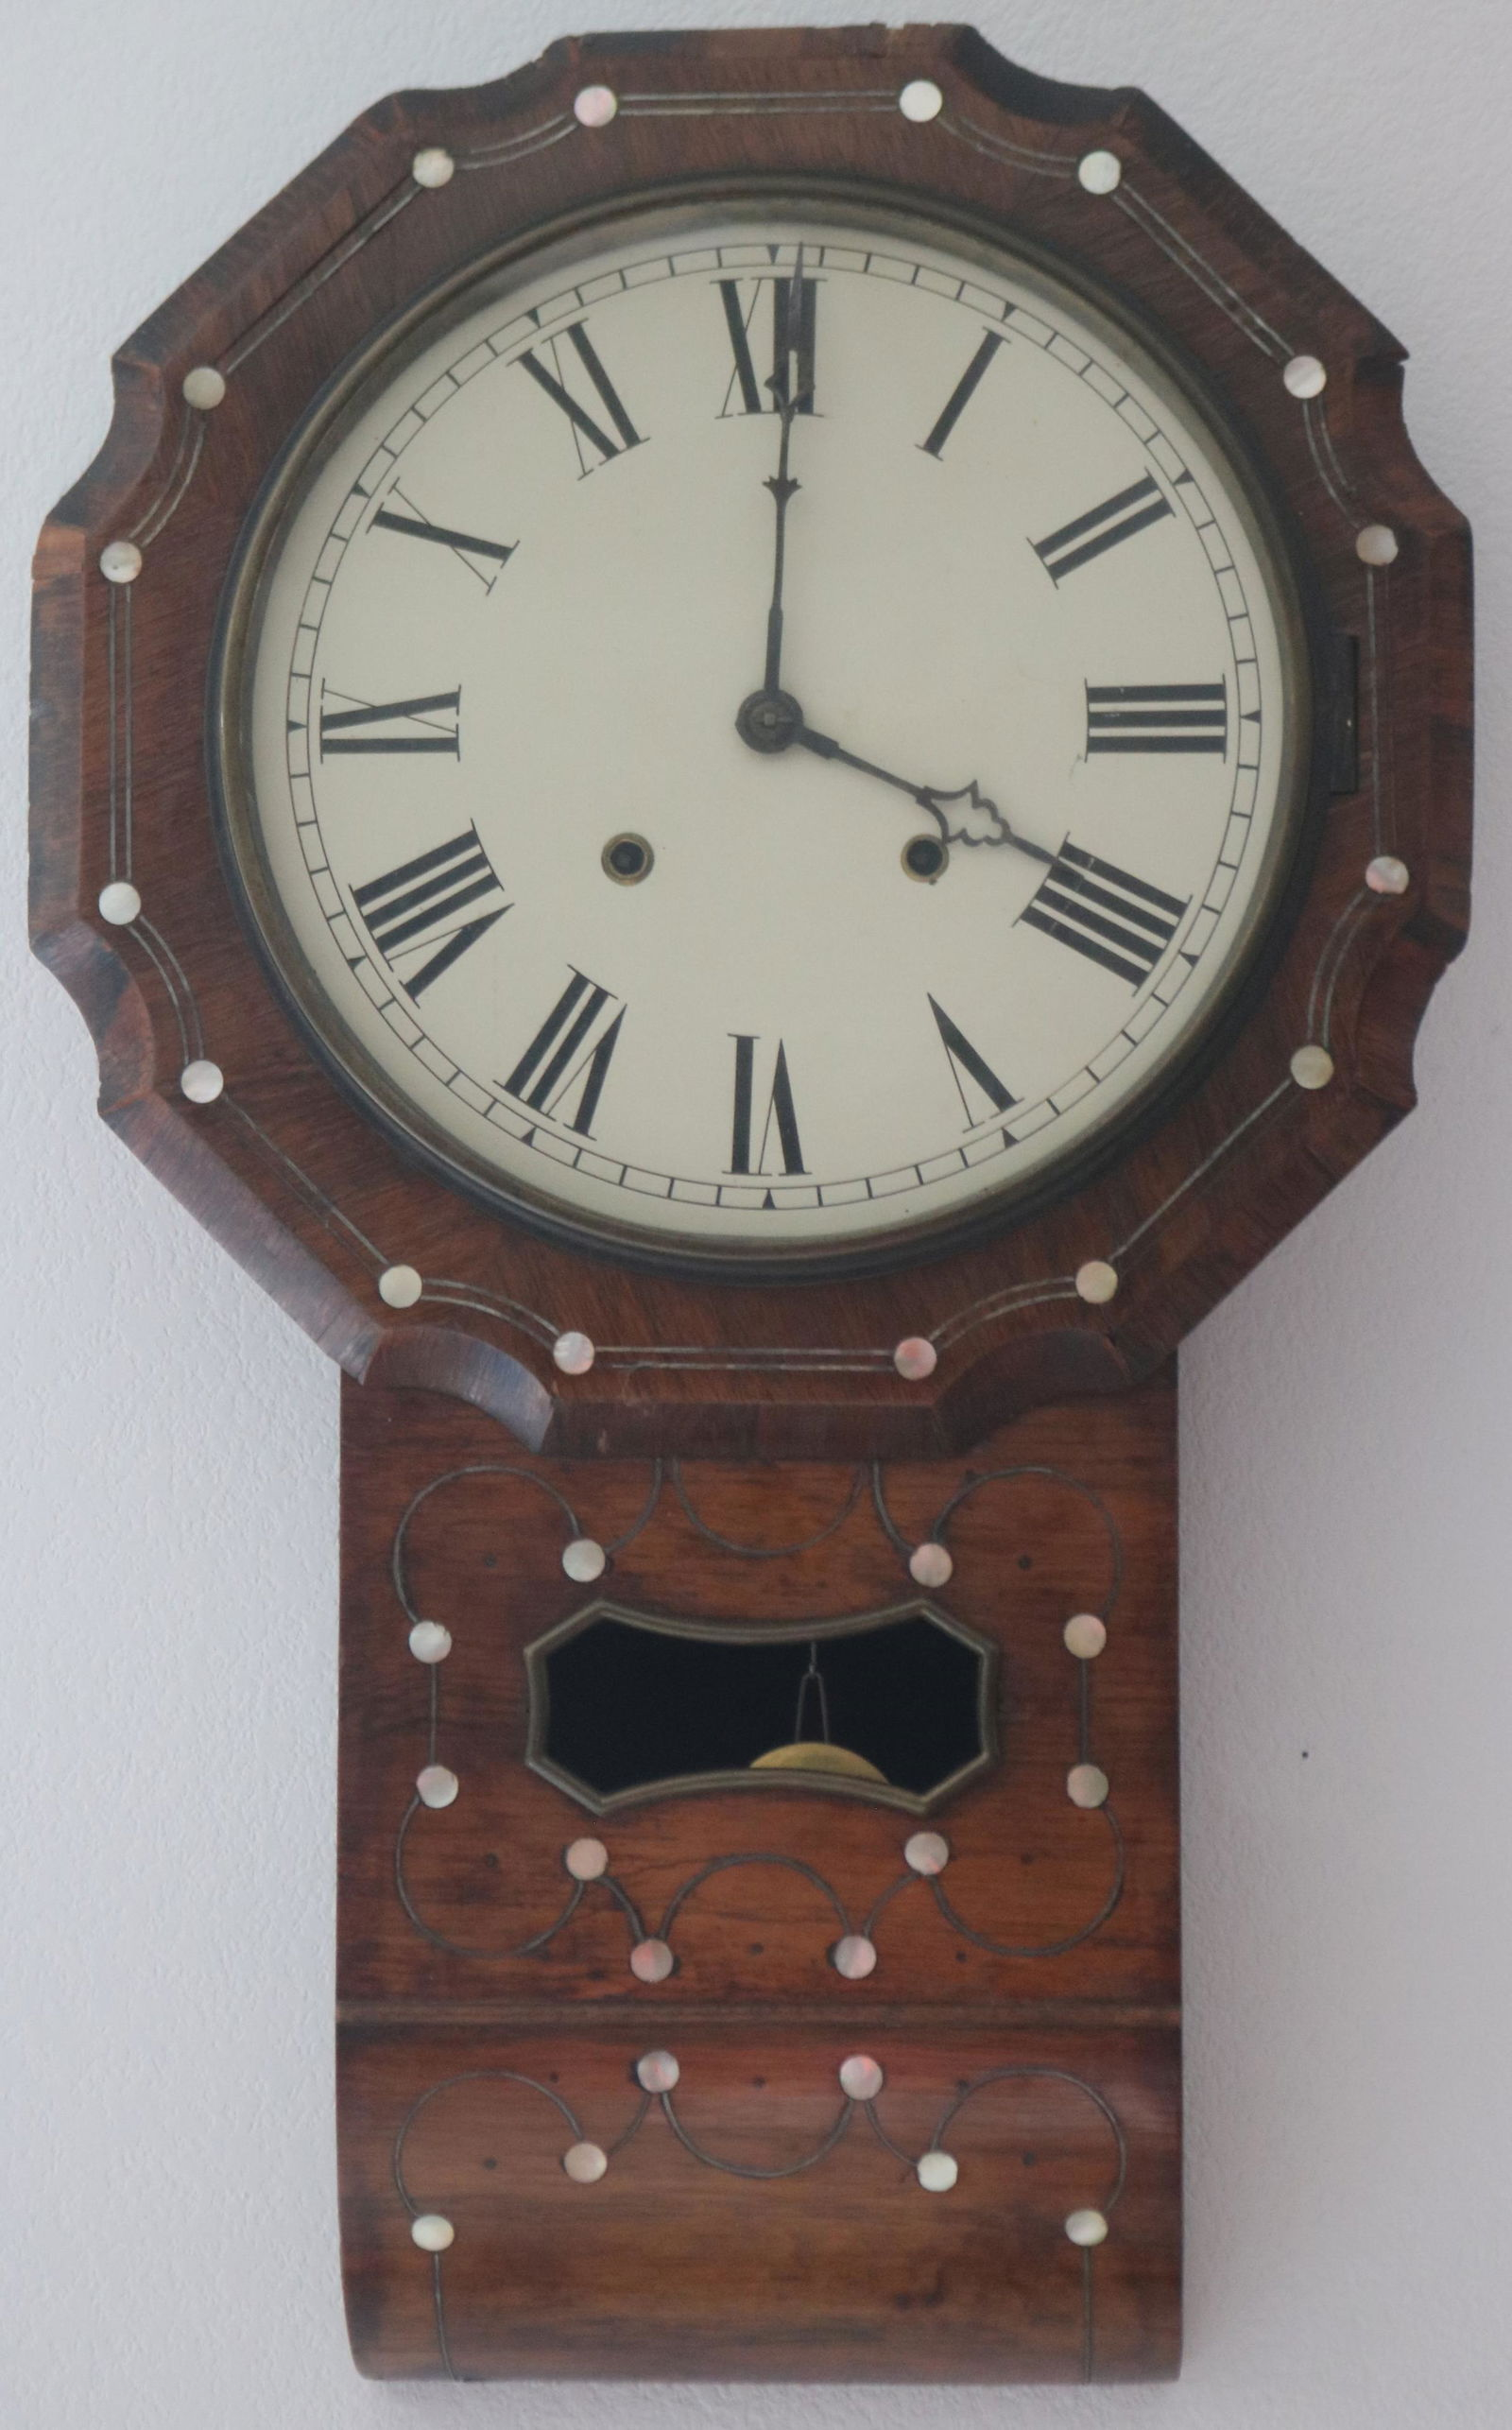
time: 4:00
